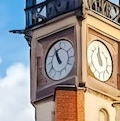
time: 10:56
